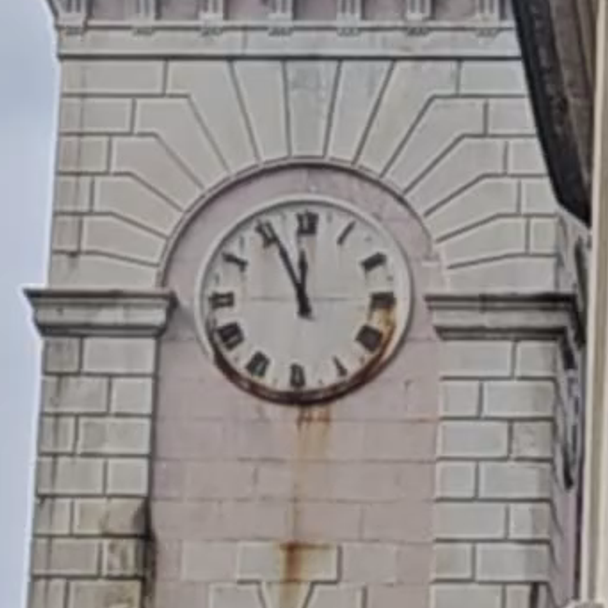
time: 11:55
